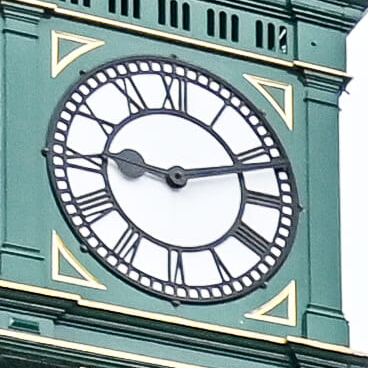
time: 9:11
